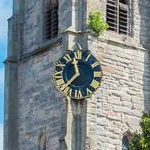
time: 11:37
